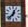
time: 12:37
